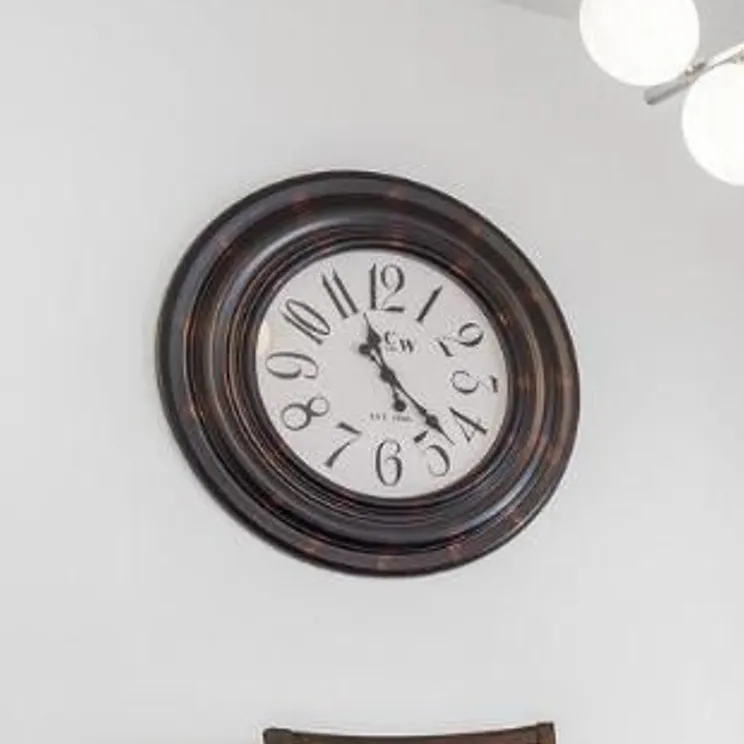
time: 11:22
